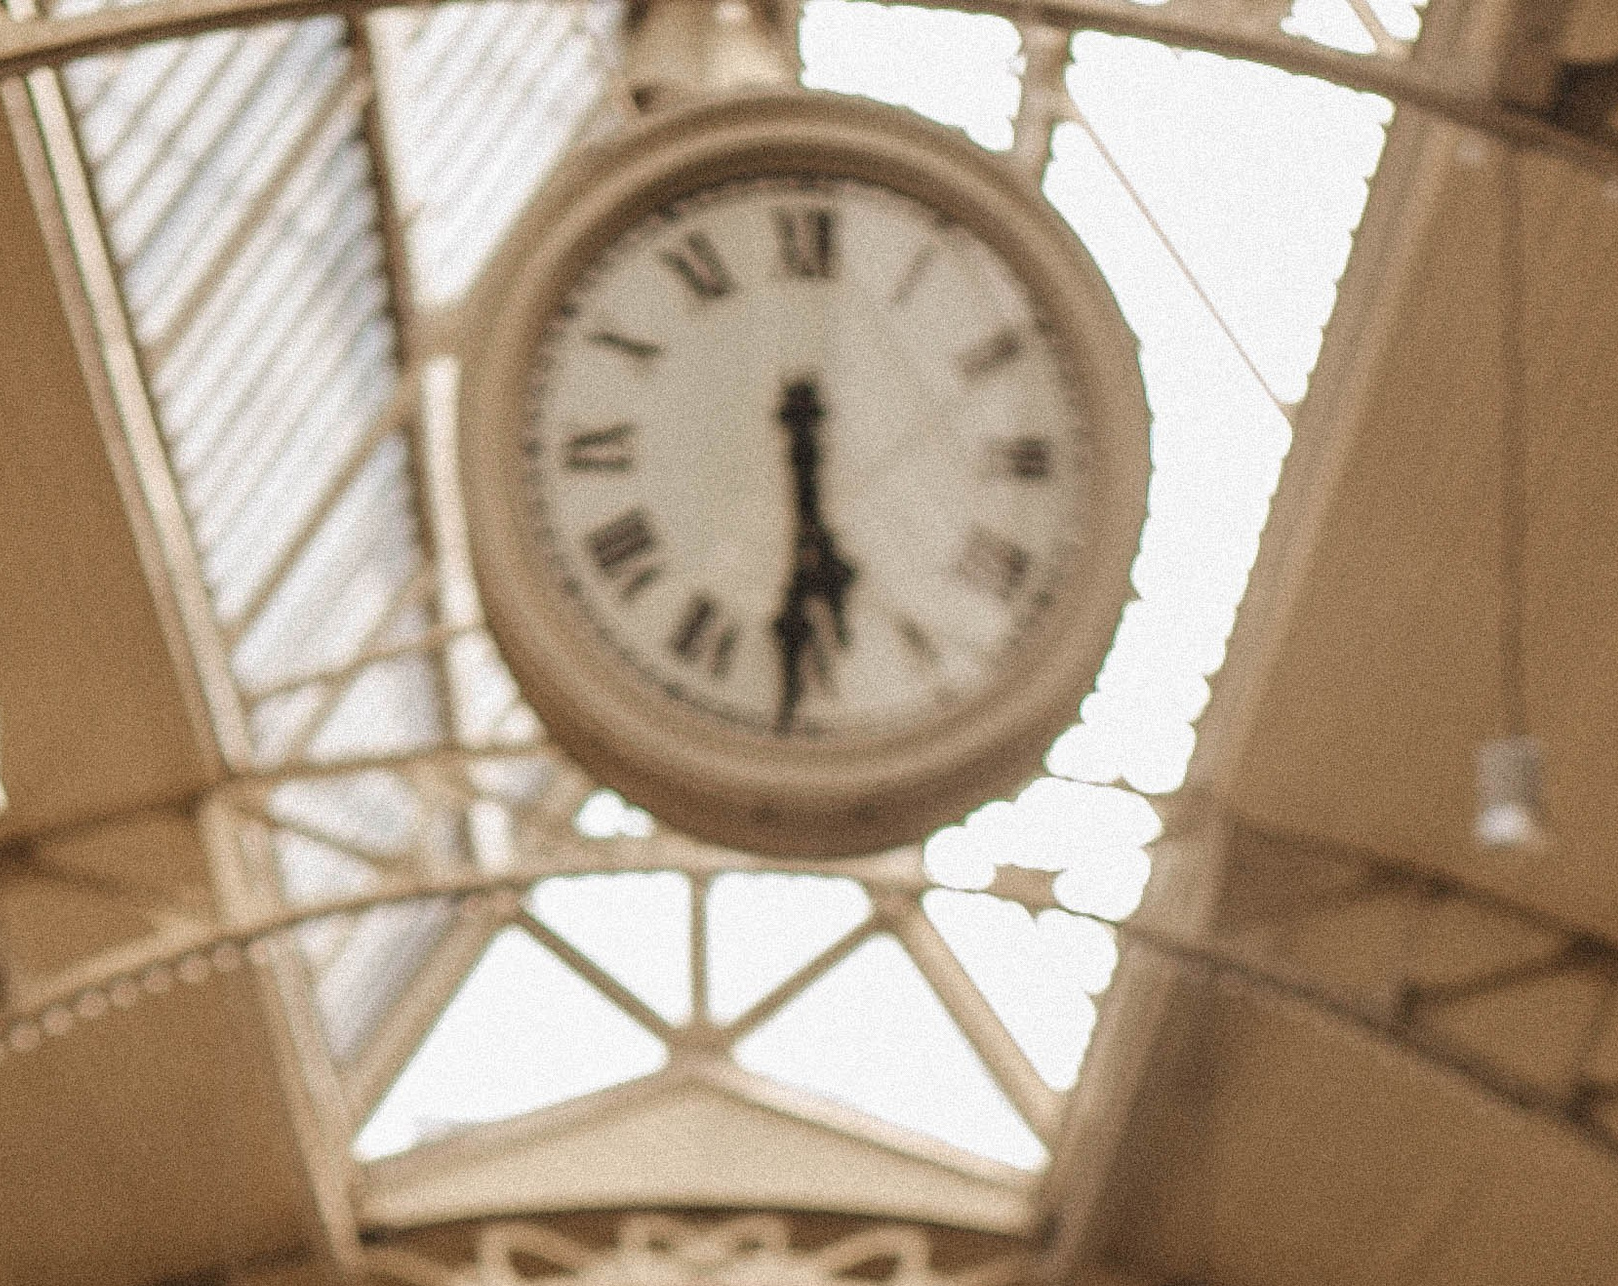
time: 5:30
